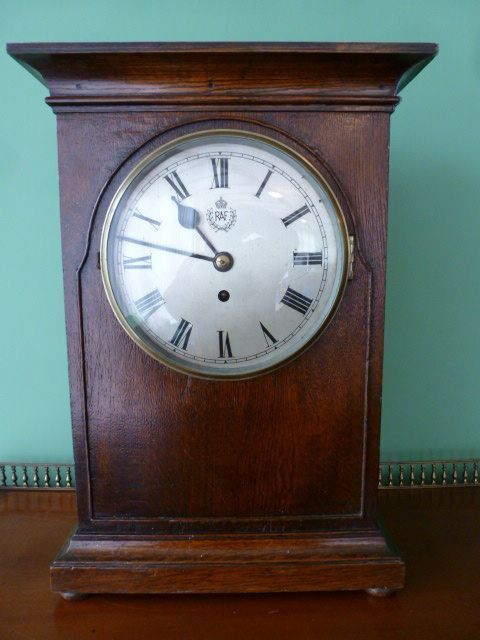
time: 10:47
